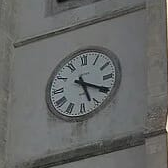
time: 5:19
